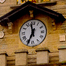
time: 11:34
